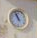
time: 10:56
